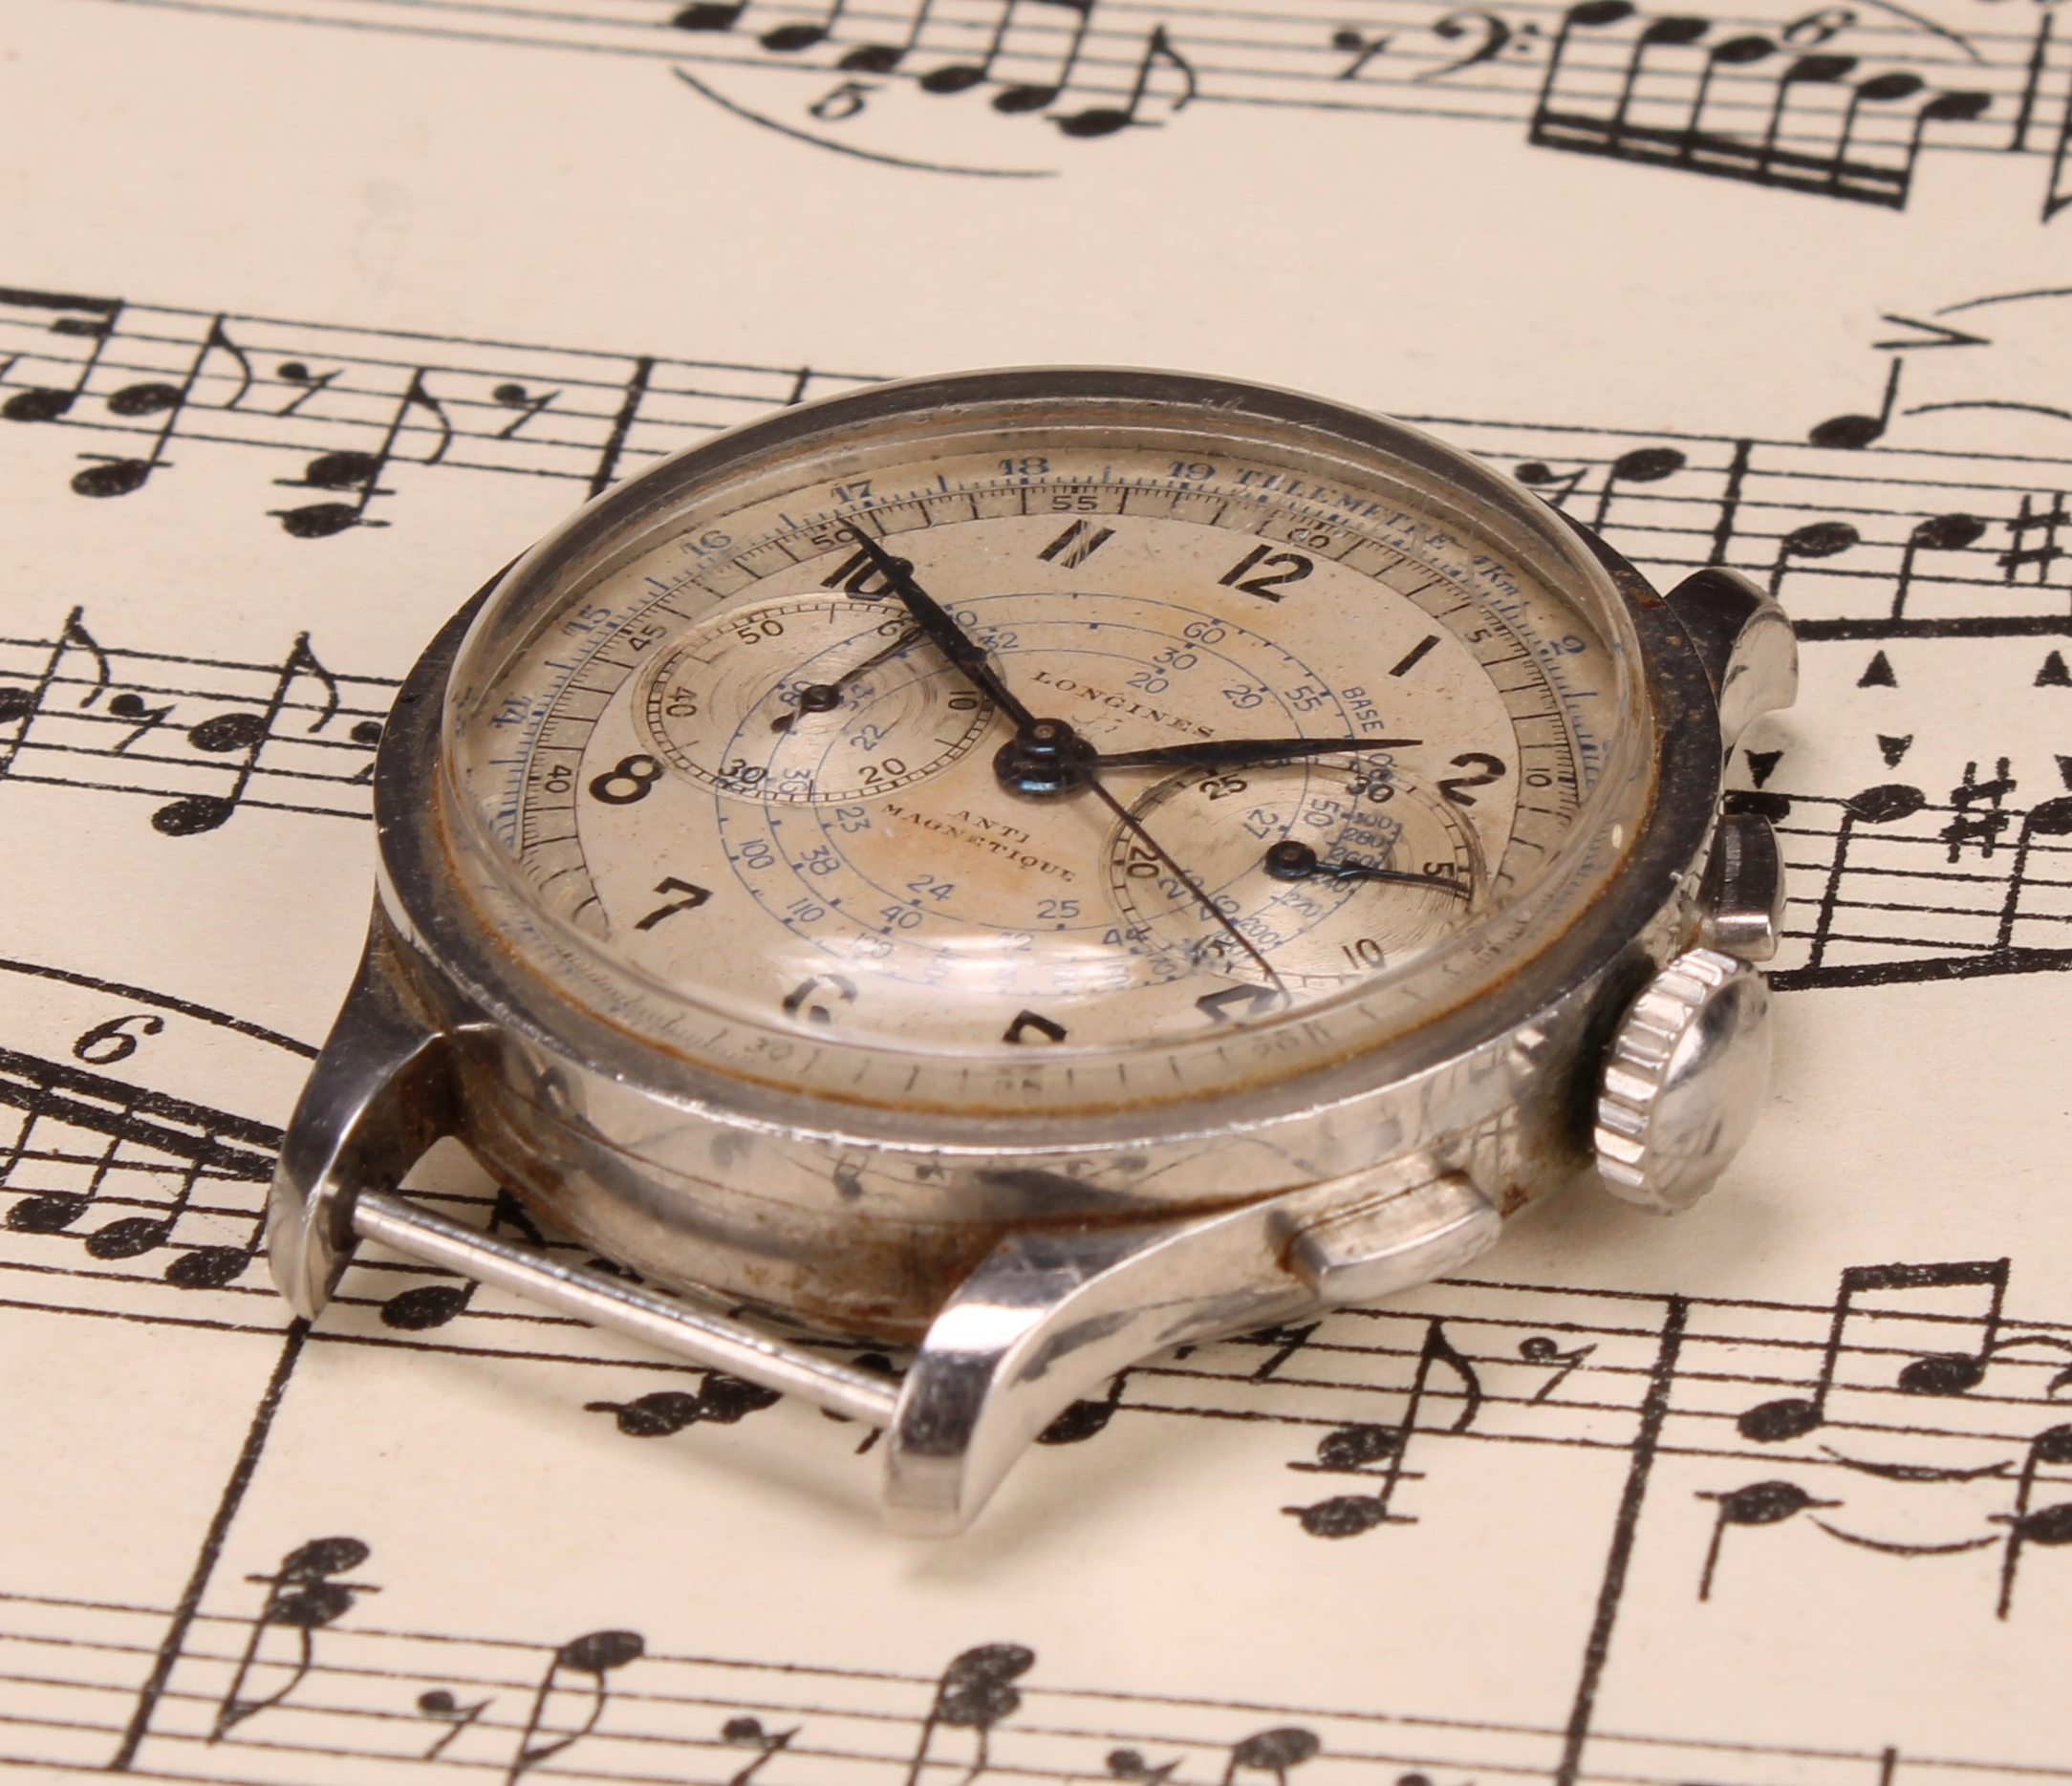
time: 2:55
